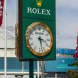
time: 3:27
